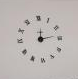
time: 12:13
